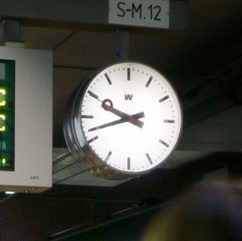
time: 9:42
